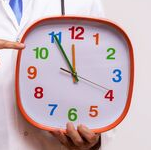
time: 11:55
